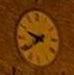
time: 9:39
